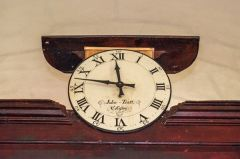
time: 11:47
